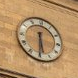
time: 5:30
